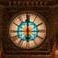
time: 5:59
